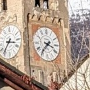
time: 3:36
